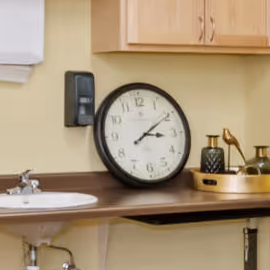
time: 3:09
